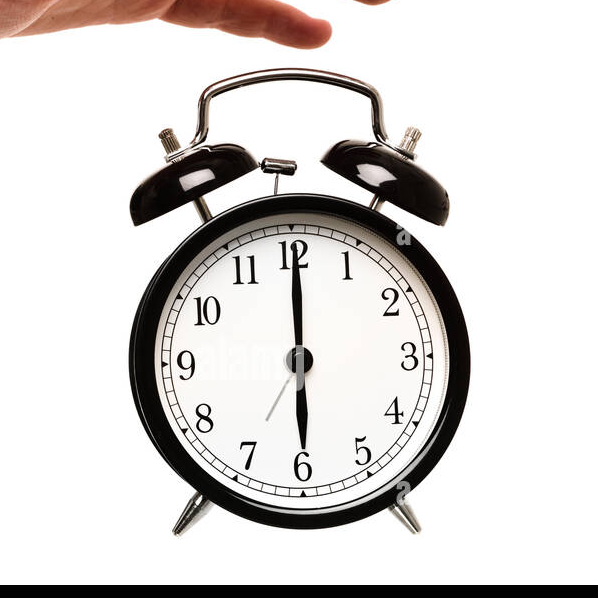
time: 6:00
